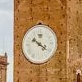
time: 10:20
